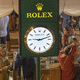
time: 9:12
